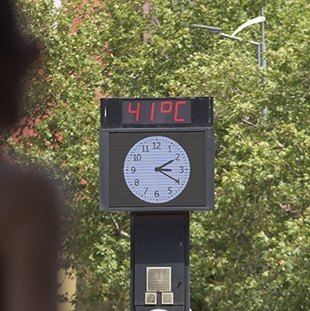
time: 2:19
